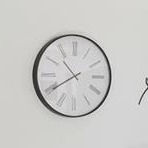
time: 10:39
